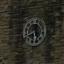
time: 5:40
